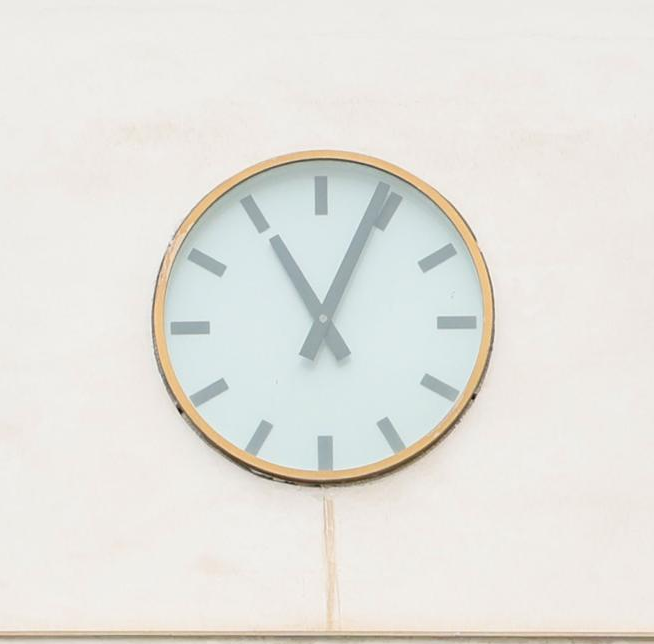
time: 11:04
